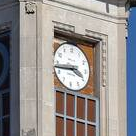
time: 3:43
